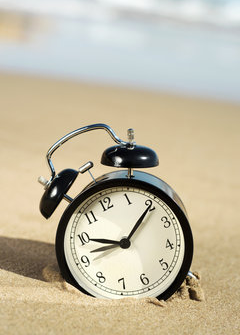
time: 9:10
